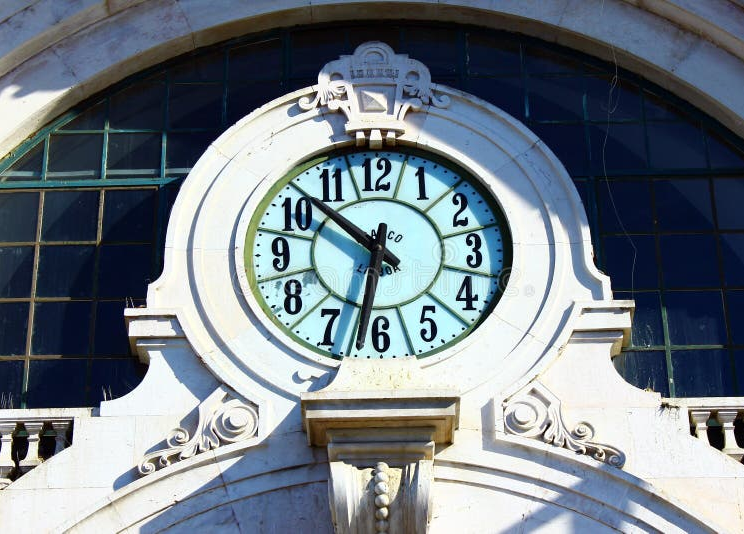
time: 10:32
